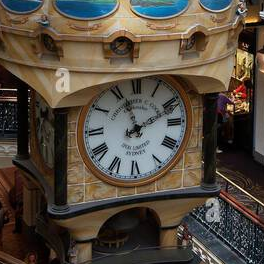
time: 11:11
